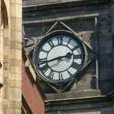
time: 2:42
